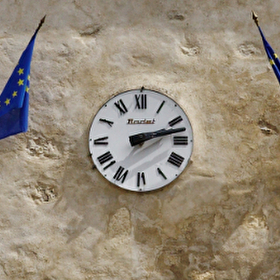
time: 2:12
